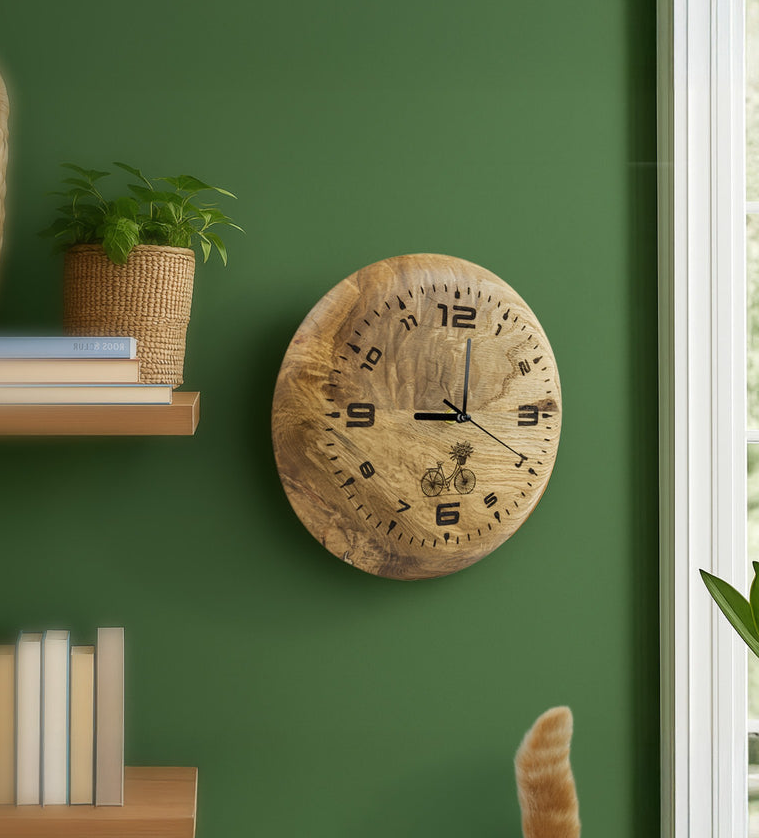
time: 9:01
